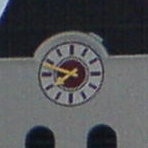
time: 7:48
